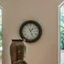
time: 1:26
